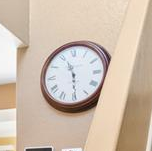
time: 11:29
